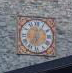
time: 6:00
